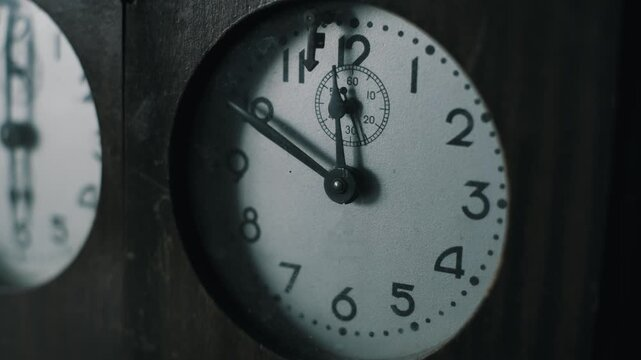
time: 11:49
